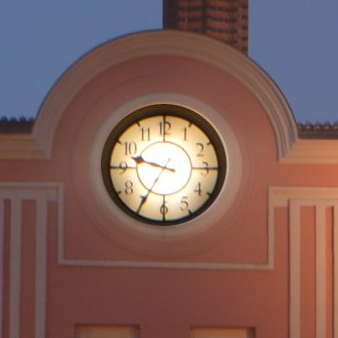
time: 9:34
